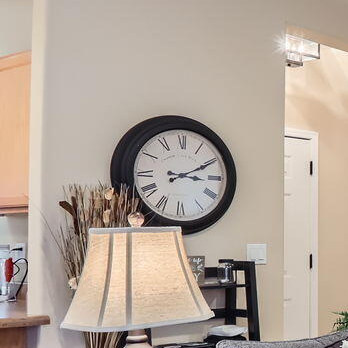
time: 3:10
